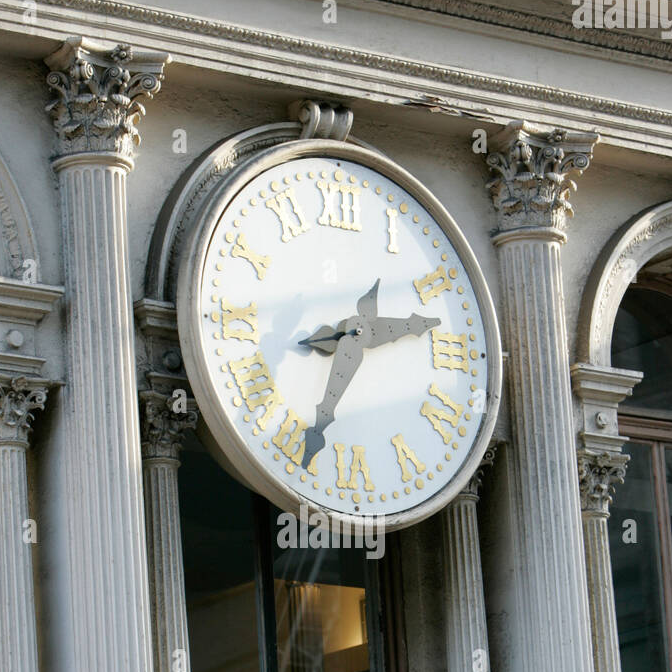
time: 2:34
